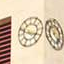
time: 3:48
